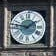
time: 1:46
